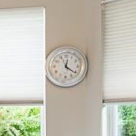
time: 12:20
